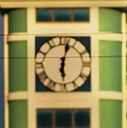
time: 6:02
